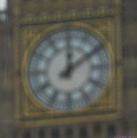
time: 12:09
